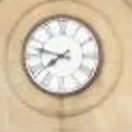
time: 7:47
